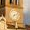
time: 7:12
